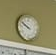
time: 9:50
